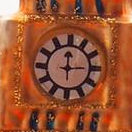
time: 12:14
